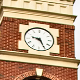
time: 9:25
